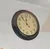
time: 11:53
